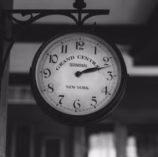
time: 2:12
